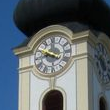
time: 8:49
